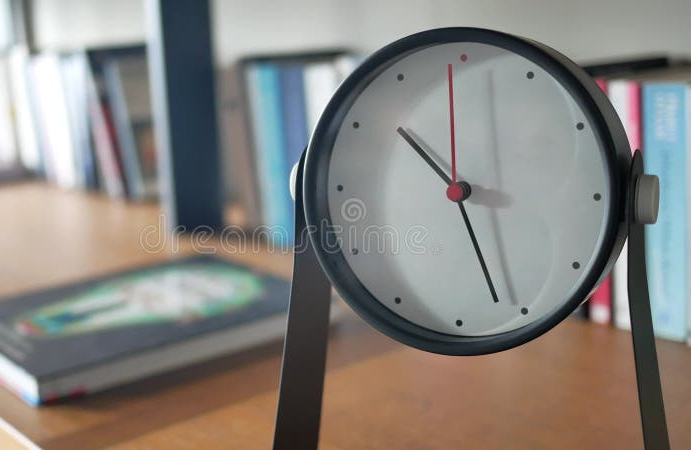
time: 10:26
